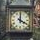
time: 4:00
